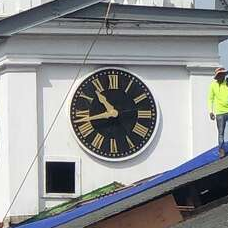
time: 10:42
